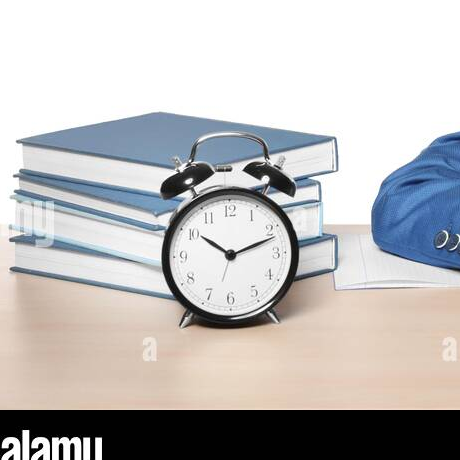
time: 10:11
